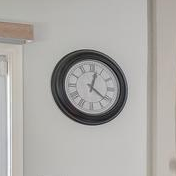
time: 12:21
